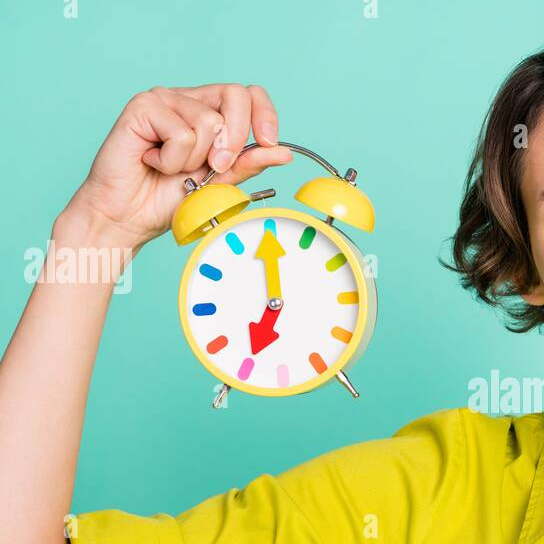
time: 7:00
